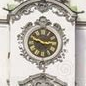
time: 2:48
